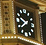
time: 9:38
